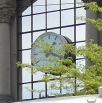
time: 1:18
